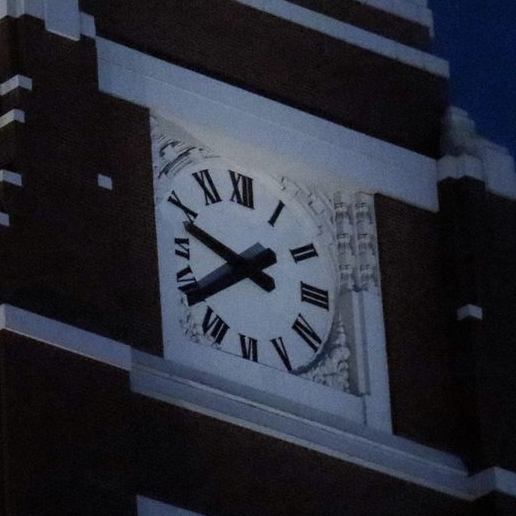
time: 9:38
